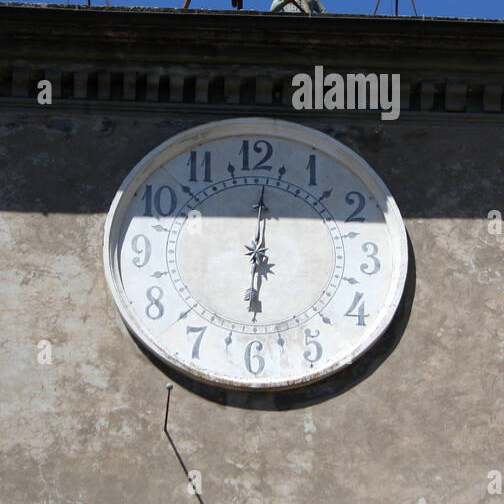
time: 6:00
